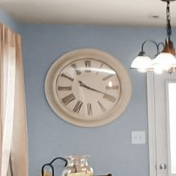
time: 10:18
